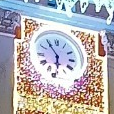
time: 5:54
